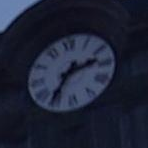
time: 2:35
